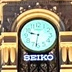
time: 9:31
